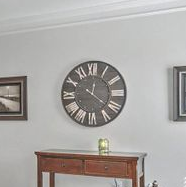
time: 12:21
